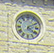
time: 4:10
